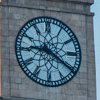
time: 9:20
